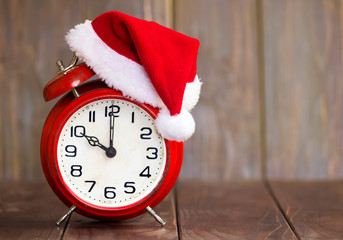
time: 10:00
